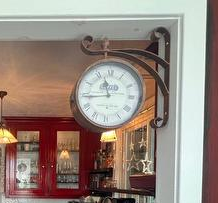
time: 11:44
